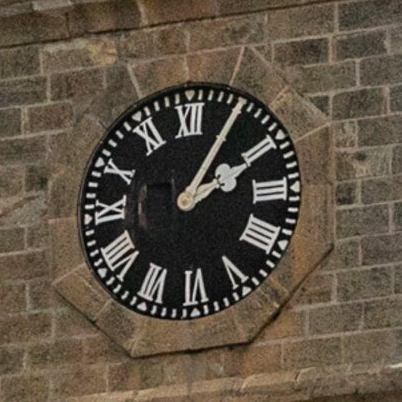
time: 2:05
